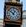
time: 12:51
